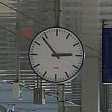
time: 2:53
